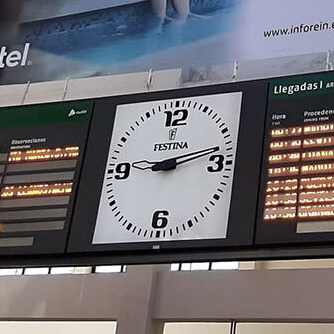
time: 9:12
